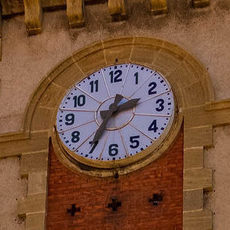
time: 2:34
